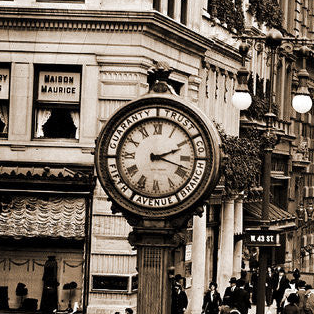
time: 2:18
